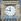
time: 11:46
